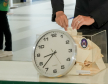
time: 8:37
